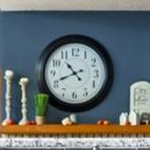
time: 10:41
